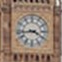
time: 3:43
